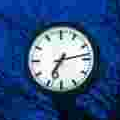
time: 7:13
